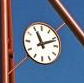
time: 11:11
